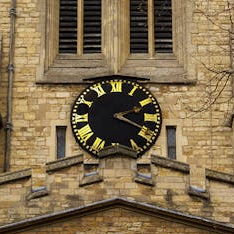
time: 2:19
